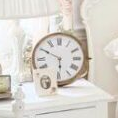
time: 5:49
